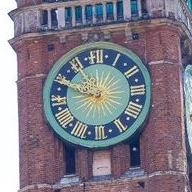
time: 12:48
